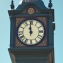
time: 11:59
